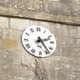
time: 2:23
